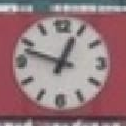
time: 12:47
